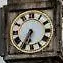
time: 6:35
